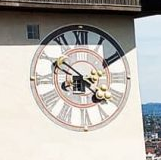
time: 4:49
